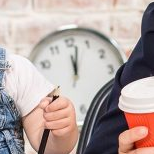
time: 12:02
